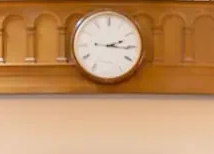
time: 2:15
